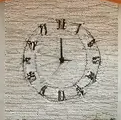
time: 11:59
